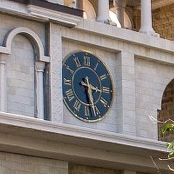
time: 3:28
